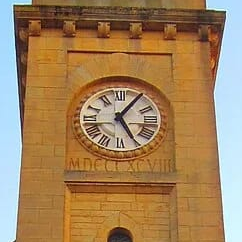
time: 5:05
